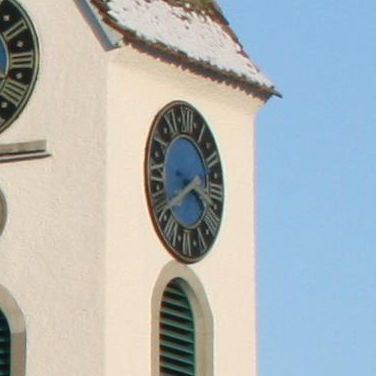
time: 3:40
